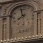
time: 7:57
